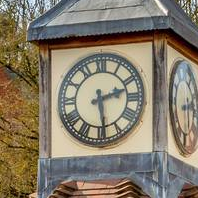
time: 2:28
